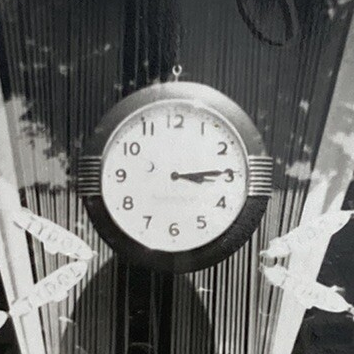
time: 3:14
